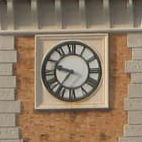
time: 9:36
